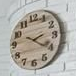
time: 2:20
